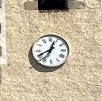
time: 12:40
